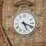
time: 5:18
